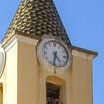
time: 4:32
